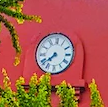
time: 7:38
